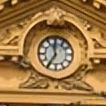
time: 11:35
